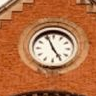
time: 4:56
